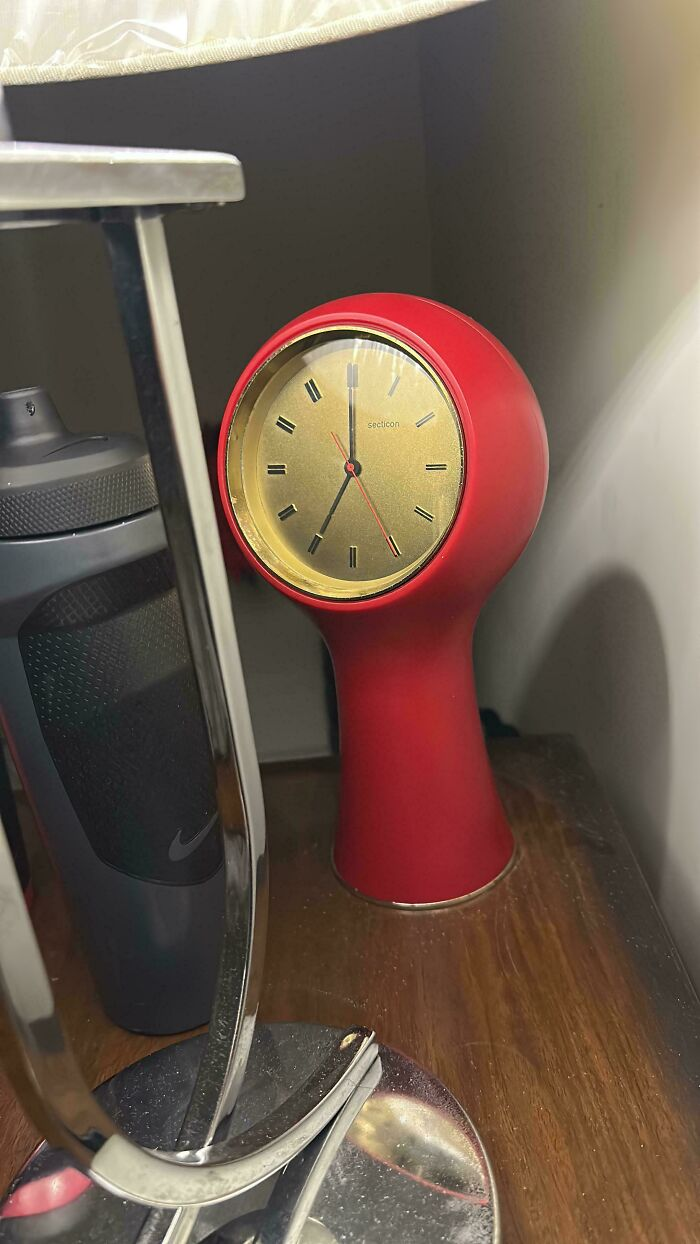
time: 6:59
